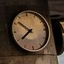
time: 7:51
